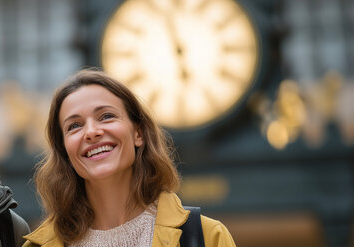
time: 5:57
